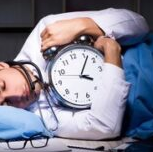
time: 4:07
